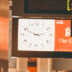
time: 2:49
